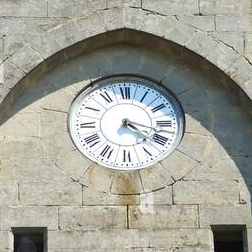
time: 4:17
